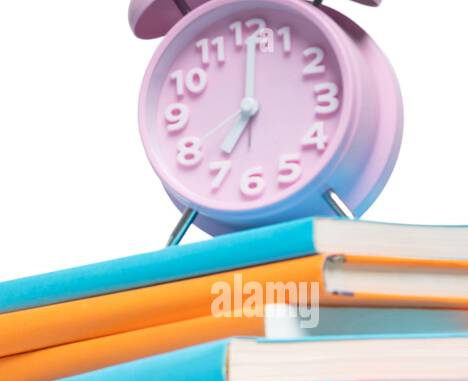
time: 7:00
